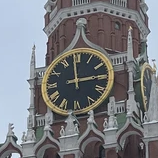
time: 2:58
